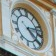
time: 4:12
